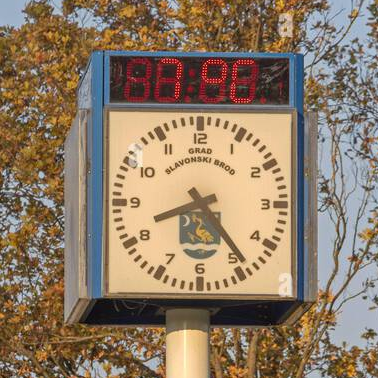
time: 8:23
